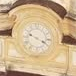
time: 3:48
